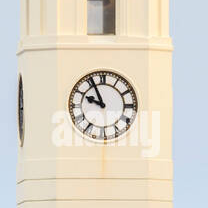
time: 9:55
